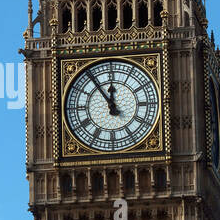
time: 11:53
